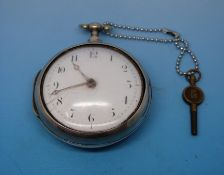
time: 10:42
